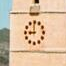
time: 8:59
